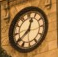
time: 12:39
